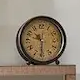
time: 10:30
